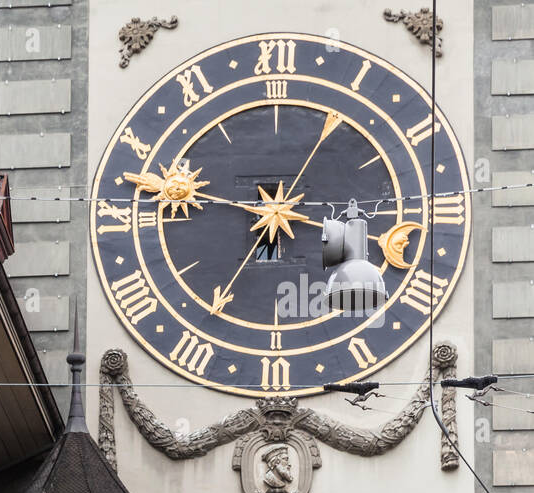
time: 6:47
